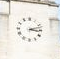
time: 3:12
